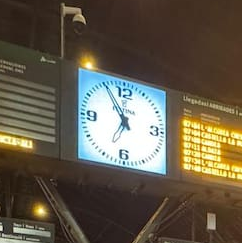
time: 6:55
